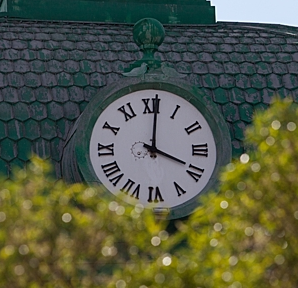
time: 4:01
